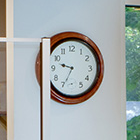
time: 9:34
